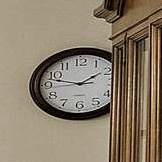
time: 1:47
